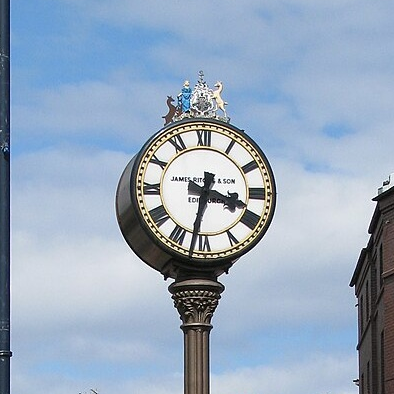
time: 3:32
